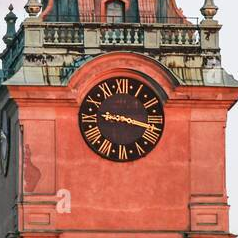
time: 9:17
